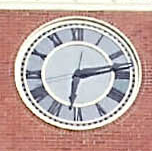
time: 6:13
